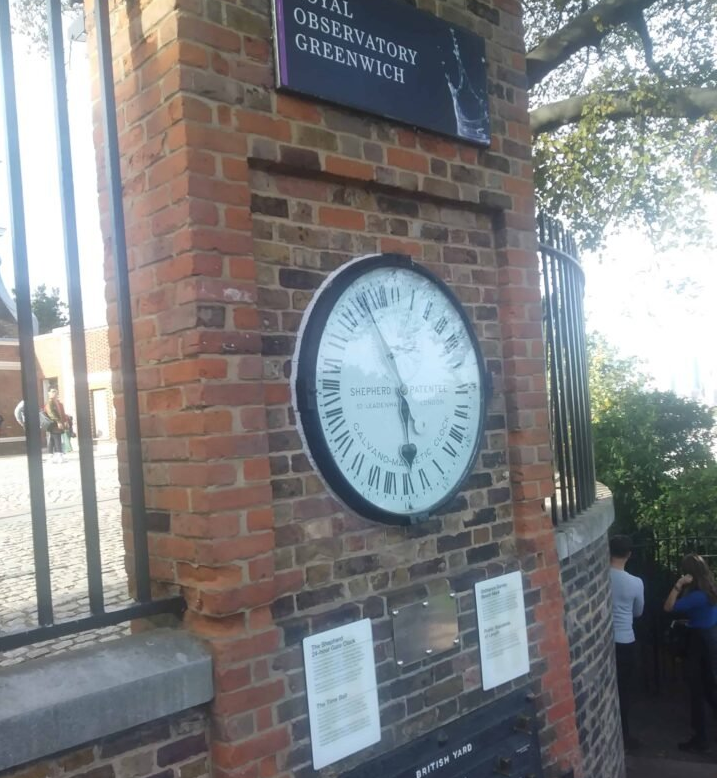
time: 5:54
